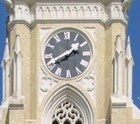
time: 1:40
